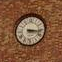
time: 3:16
